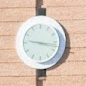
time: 9:17
